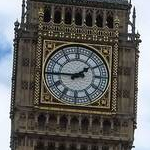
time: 1:45
